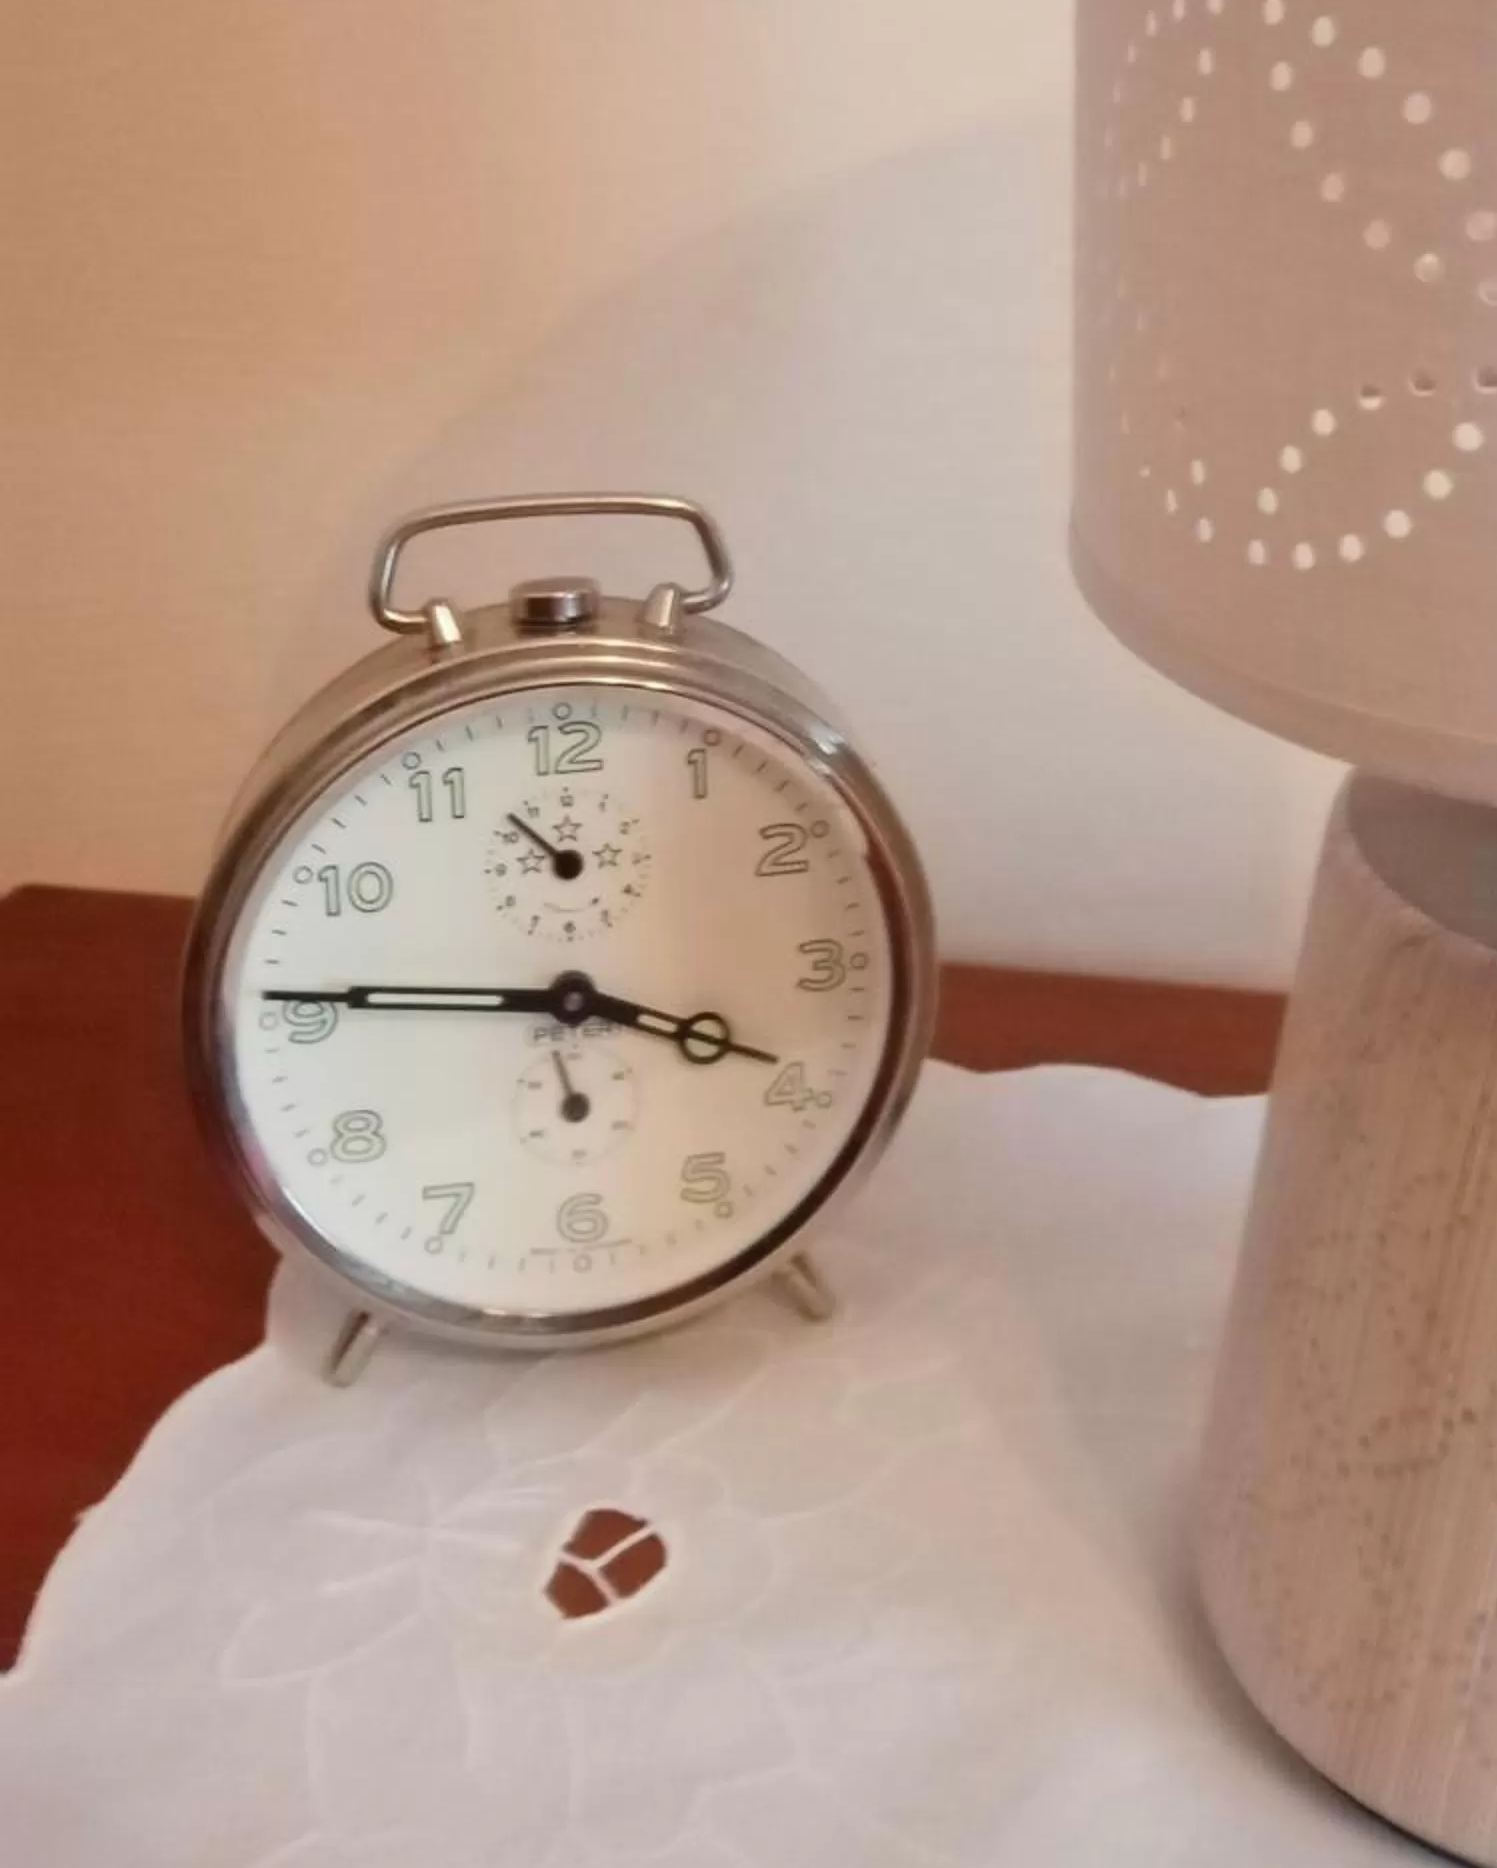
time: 3:45
